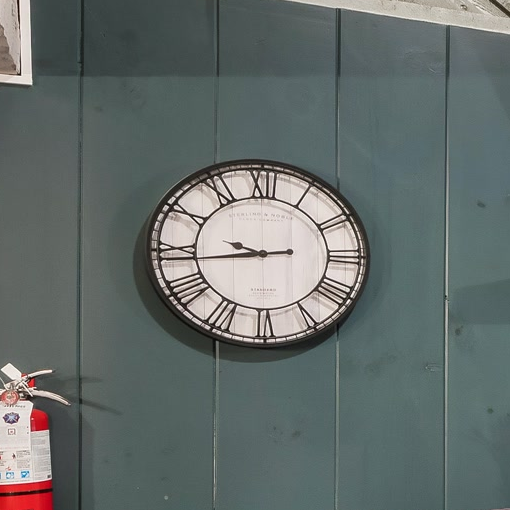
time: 9:43
